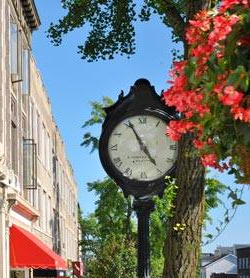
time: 4:55
